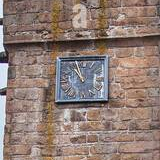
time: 10:57
